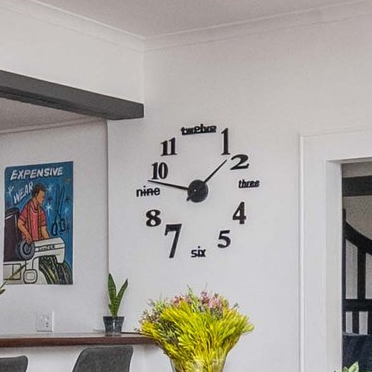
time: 1:47
